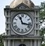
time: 11:17
